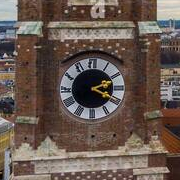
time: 2:19
